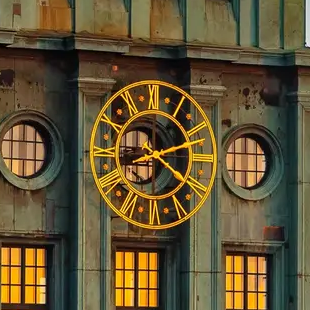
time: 8:20
